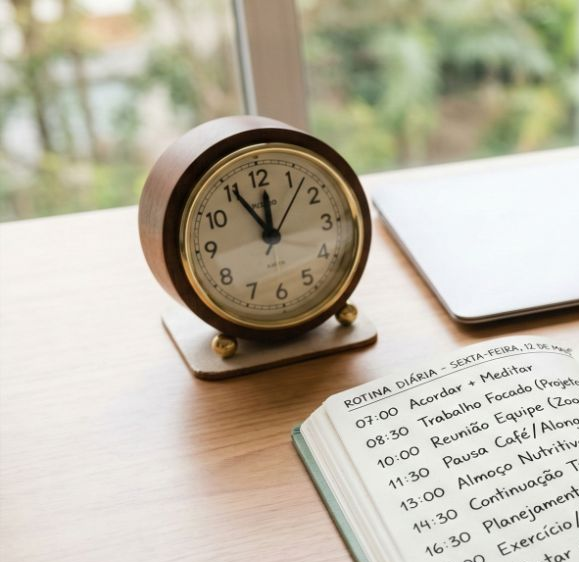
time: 11:55
